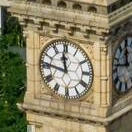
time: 11:46
